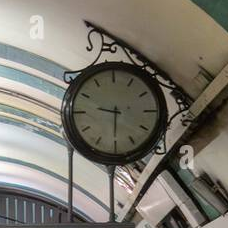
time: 9:30
